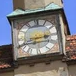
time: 2:42
